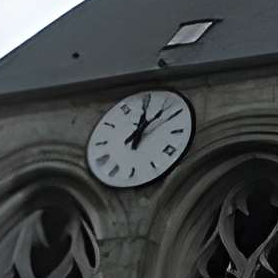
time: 12:07
